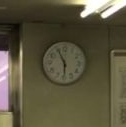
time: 5:55
